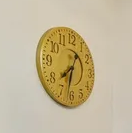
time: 7:32
